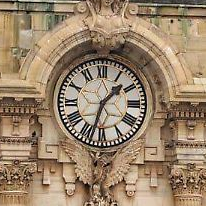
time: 1:32
